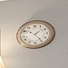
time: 10:24
